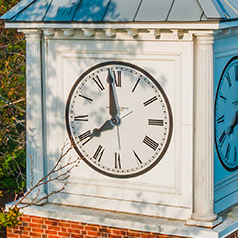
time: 7:58
